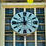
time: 11:43
